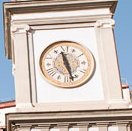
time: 11:28
